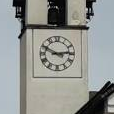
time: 2:49
